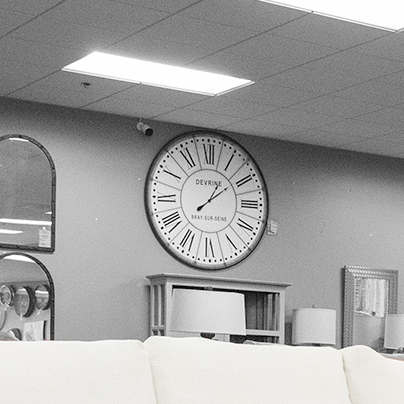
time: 1:09
